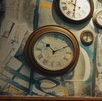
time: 10:10
